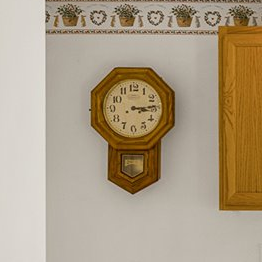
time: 3:13
